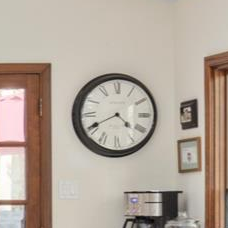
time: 4:40
